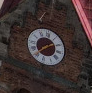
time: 1:36
